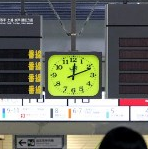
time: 12:11
